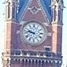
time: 9:47
